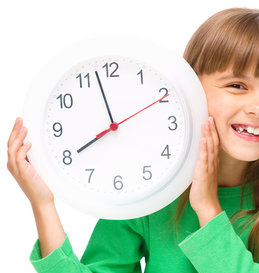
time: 7:57
